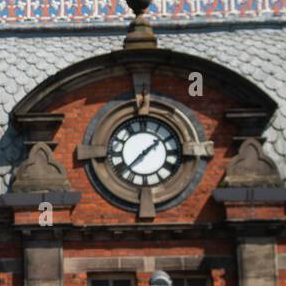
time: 1:37
